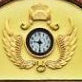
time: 9:31
